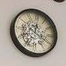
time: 12:19
